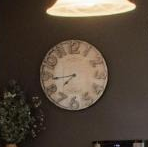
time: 7:43
